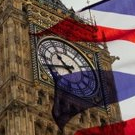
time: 10:41
